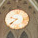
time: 9:38
